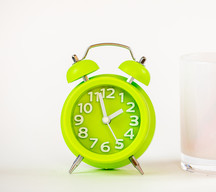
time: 1:57
